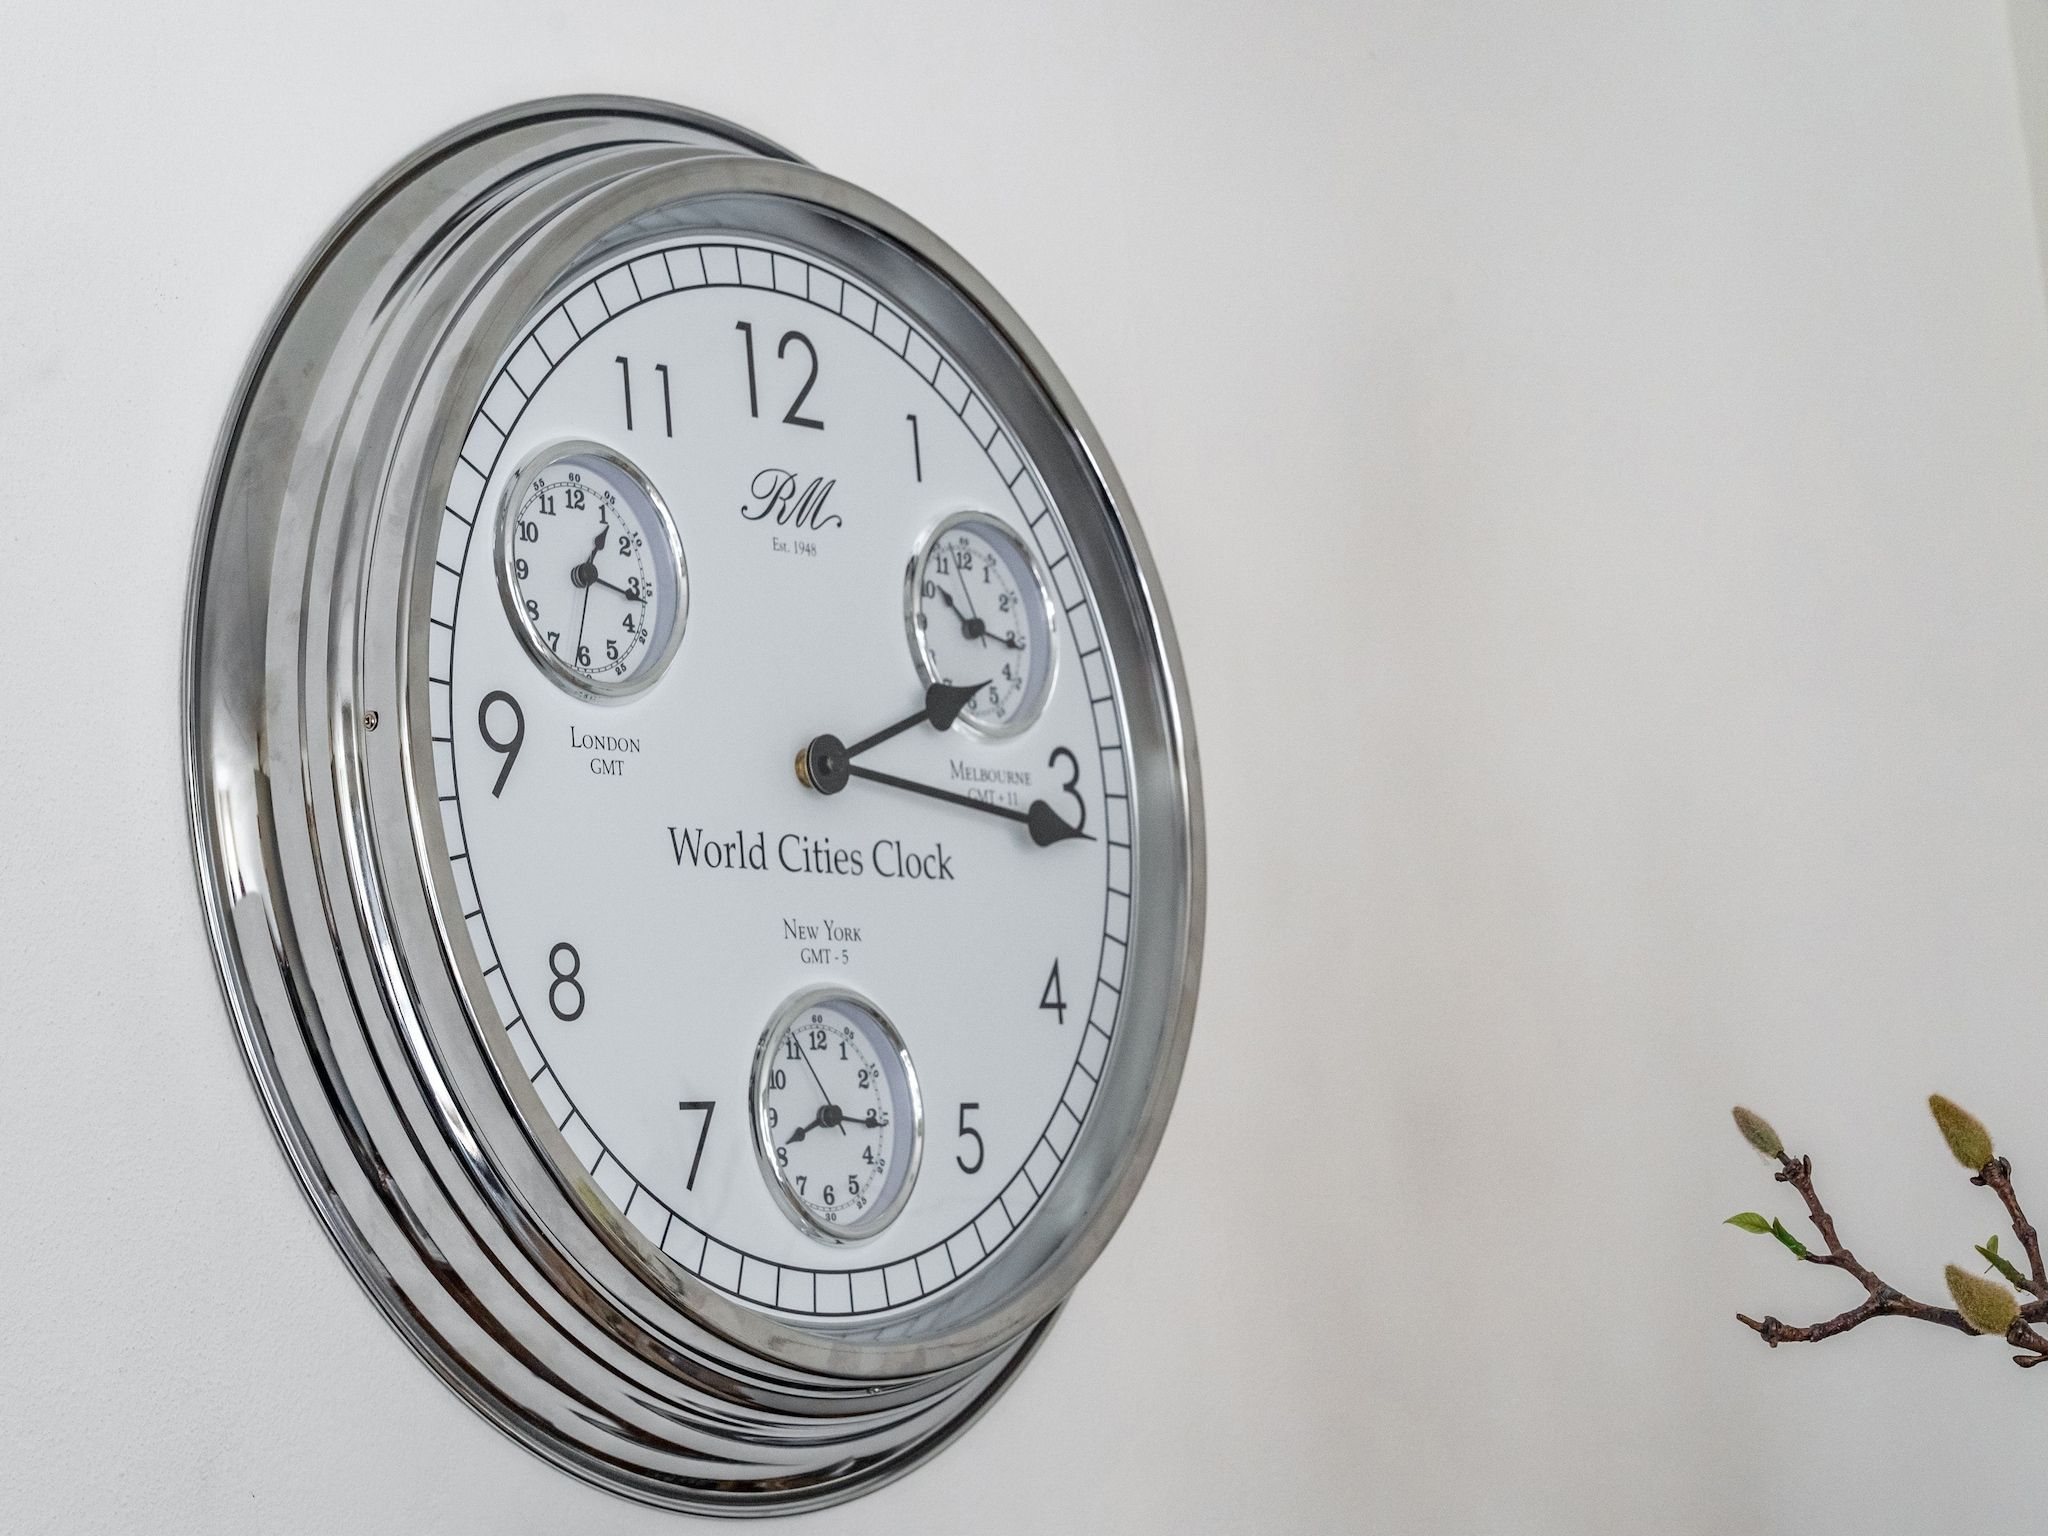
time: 2:16
